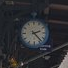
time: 2:23
